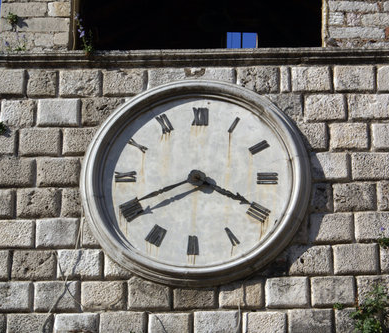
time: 3:40
